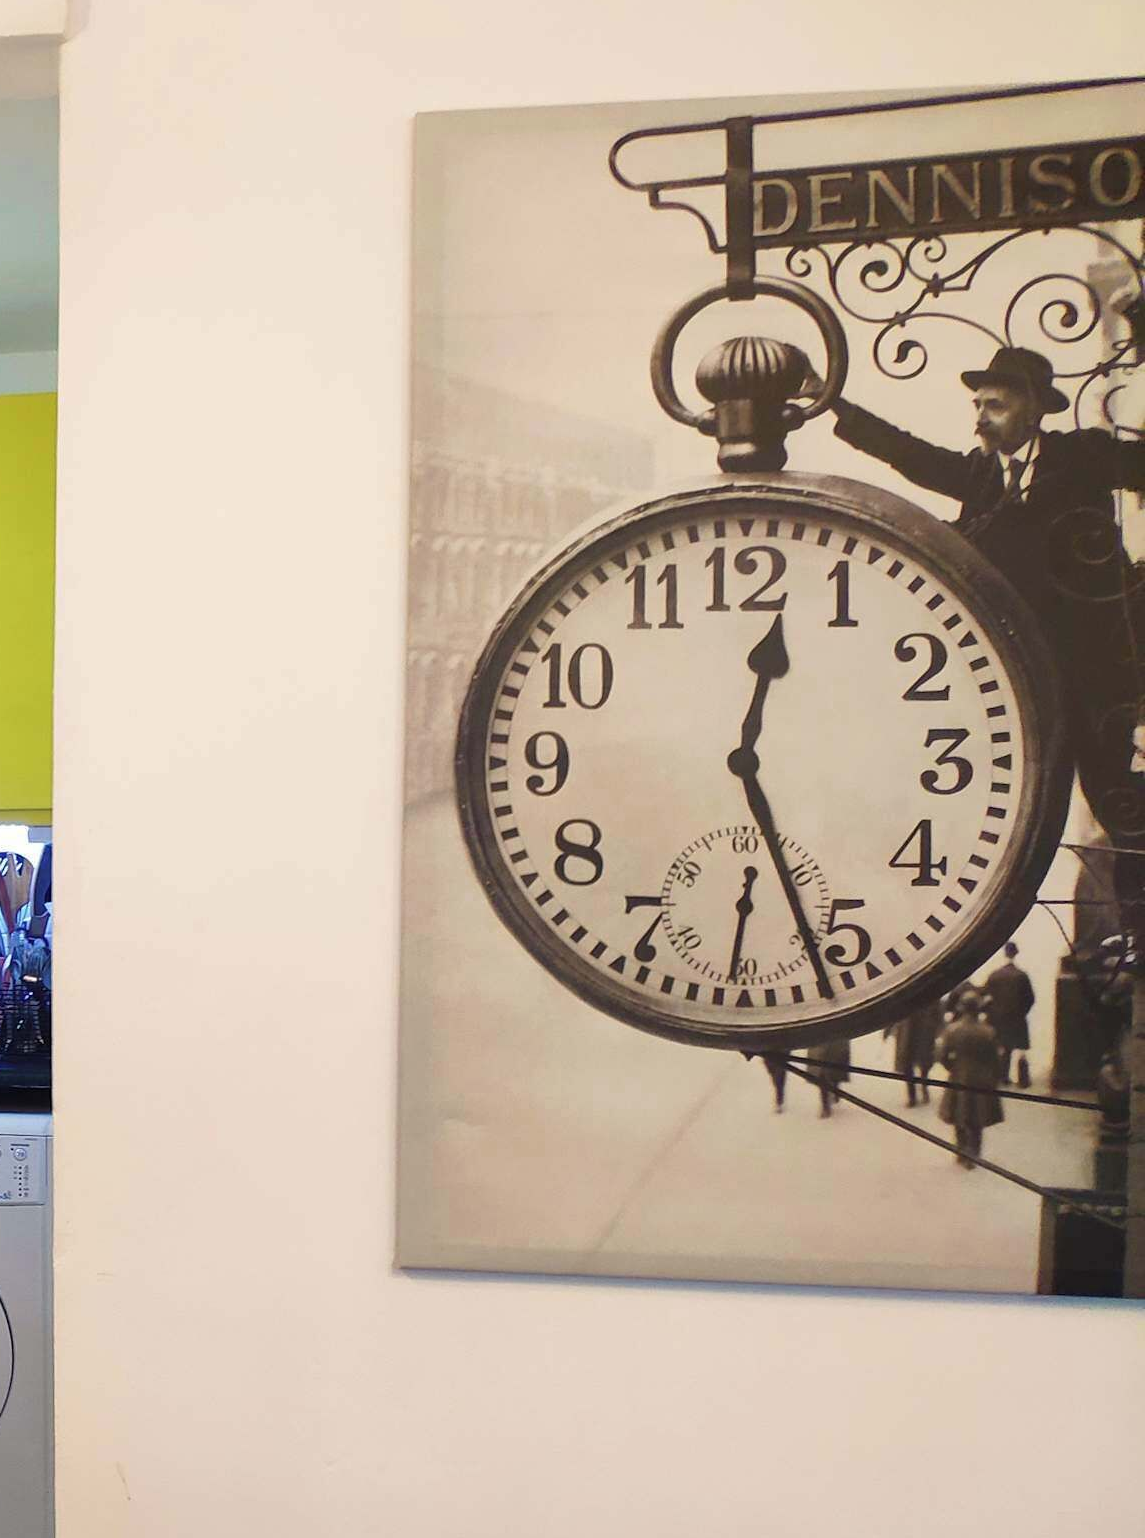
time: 12:26
